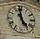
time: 4:58
